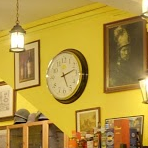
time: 5:12
